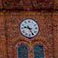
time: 9:25
